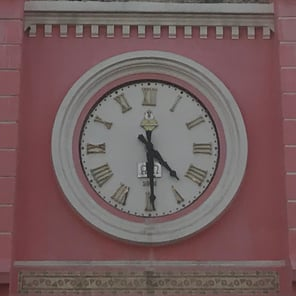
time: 4:29
